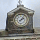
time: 2:06
